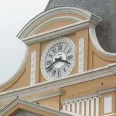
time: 3:40
